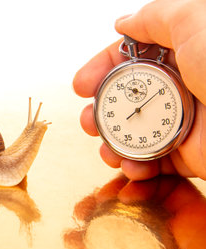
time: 8:09
